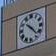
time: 10:22
